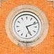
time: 5:11
